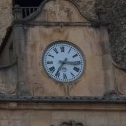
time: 7:16
